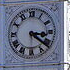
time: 3:21
